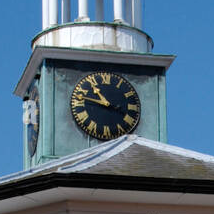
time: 10:47
